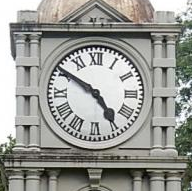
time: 4:50
